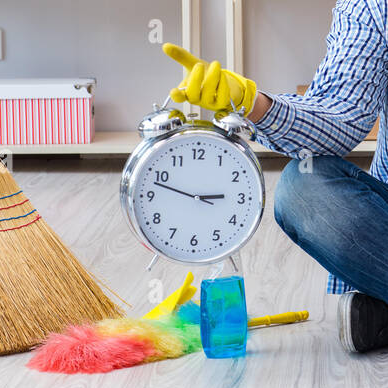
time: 2:47
